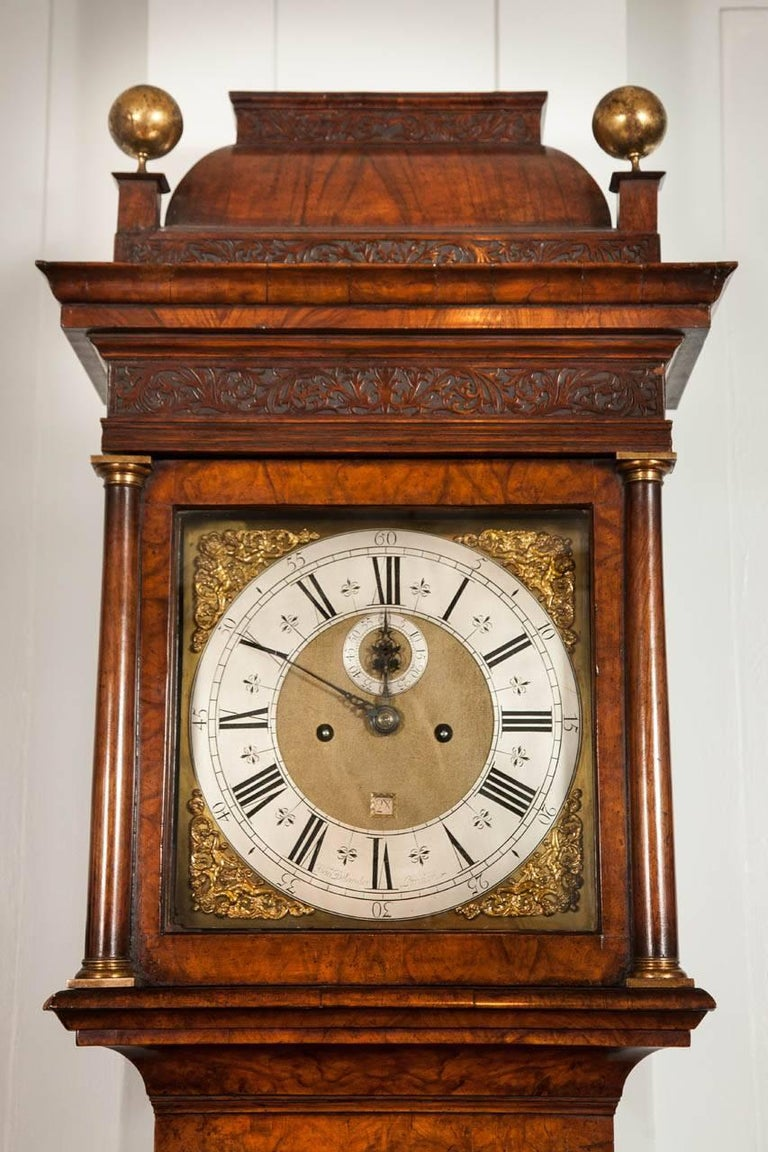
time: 10:00
